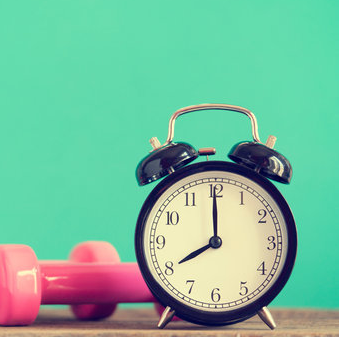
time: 8:00
